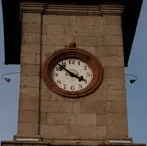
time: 3:52
